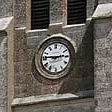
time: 2:46
